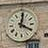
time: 4:02
